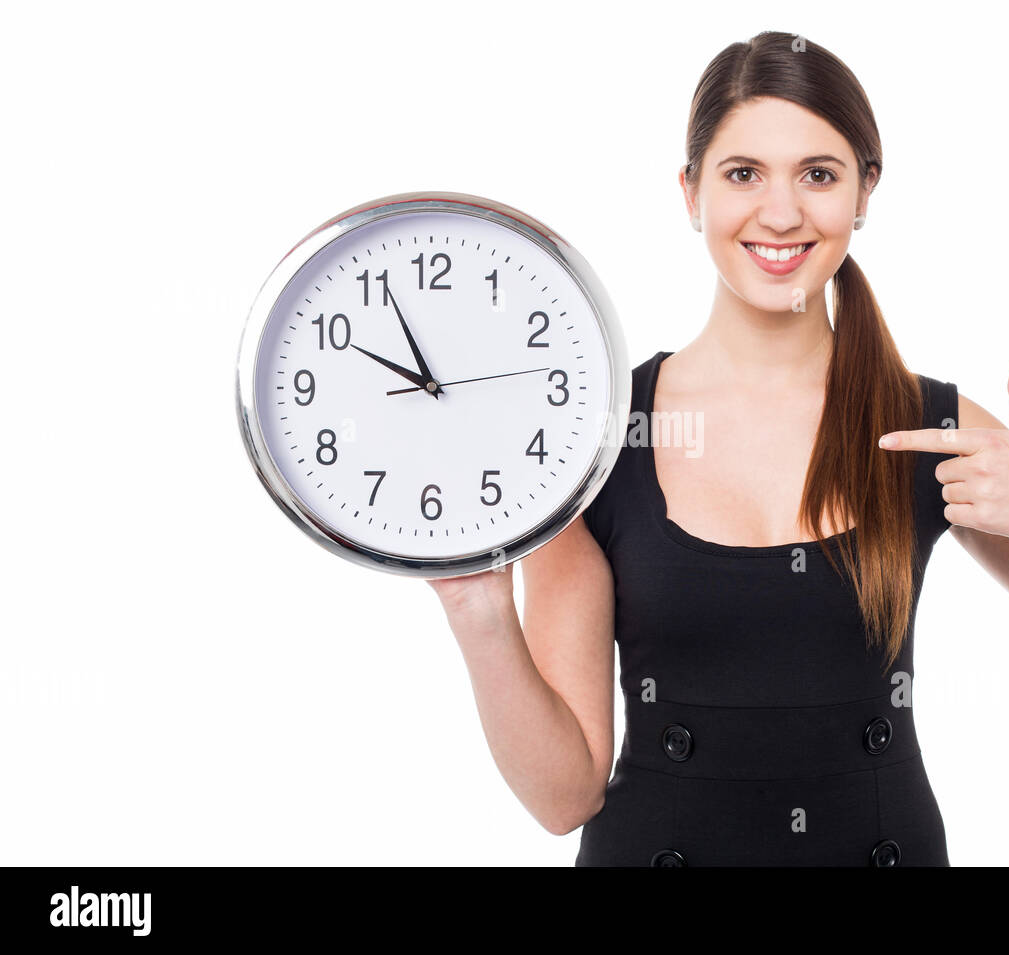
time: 9:56
